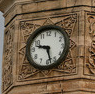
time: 9:28
